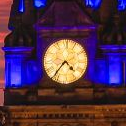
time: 4:36
